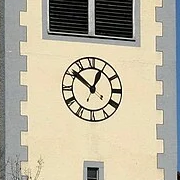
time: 12:51
